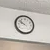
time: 9:51
